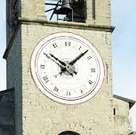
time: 10:07
